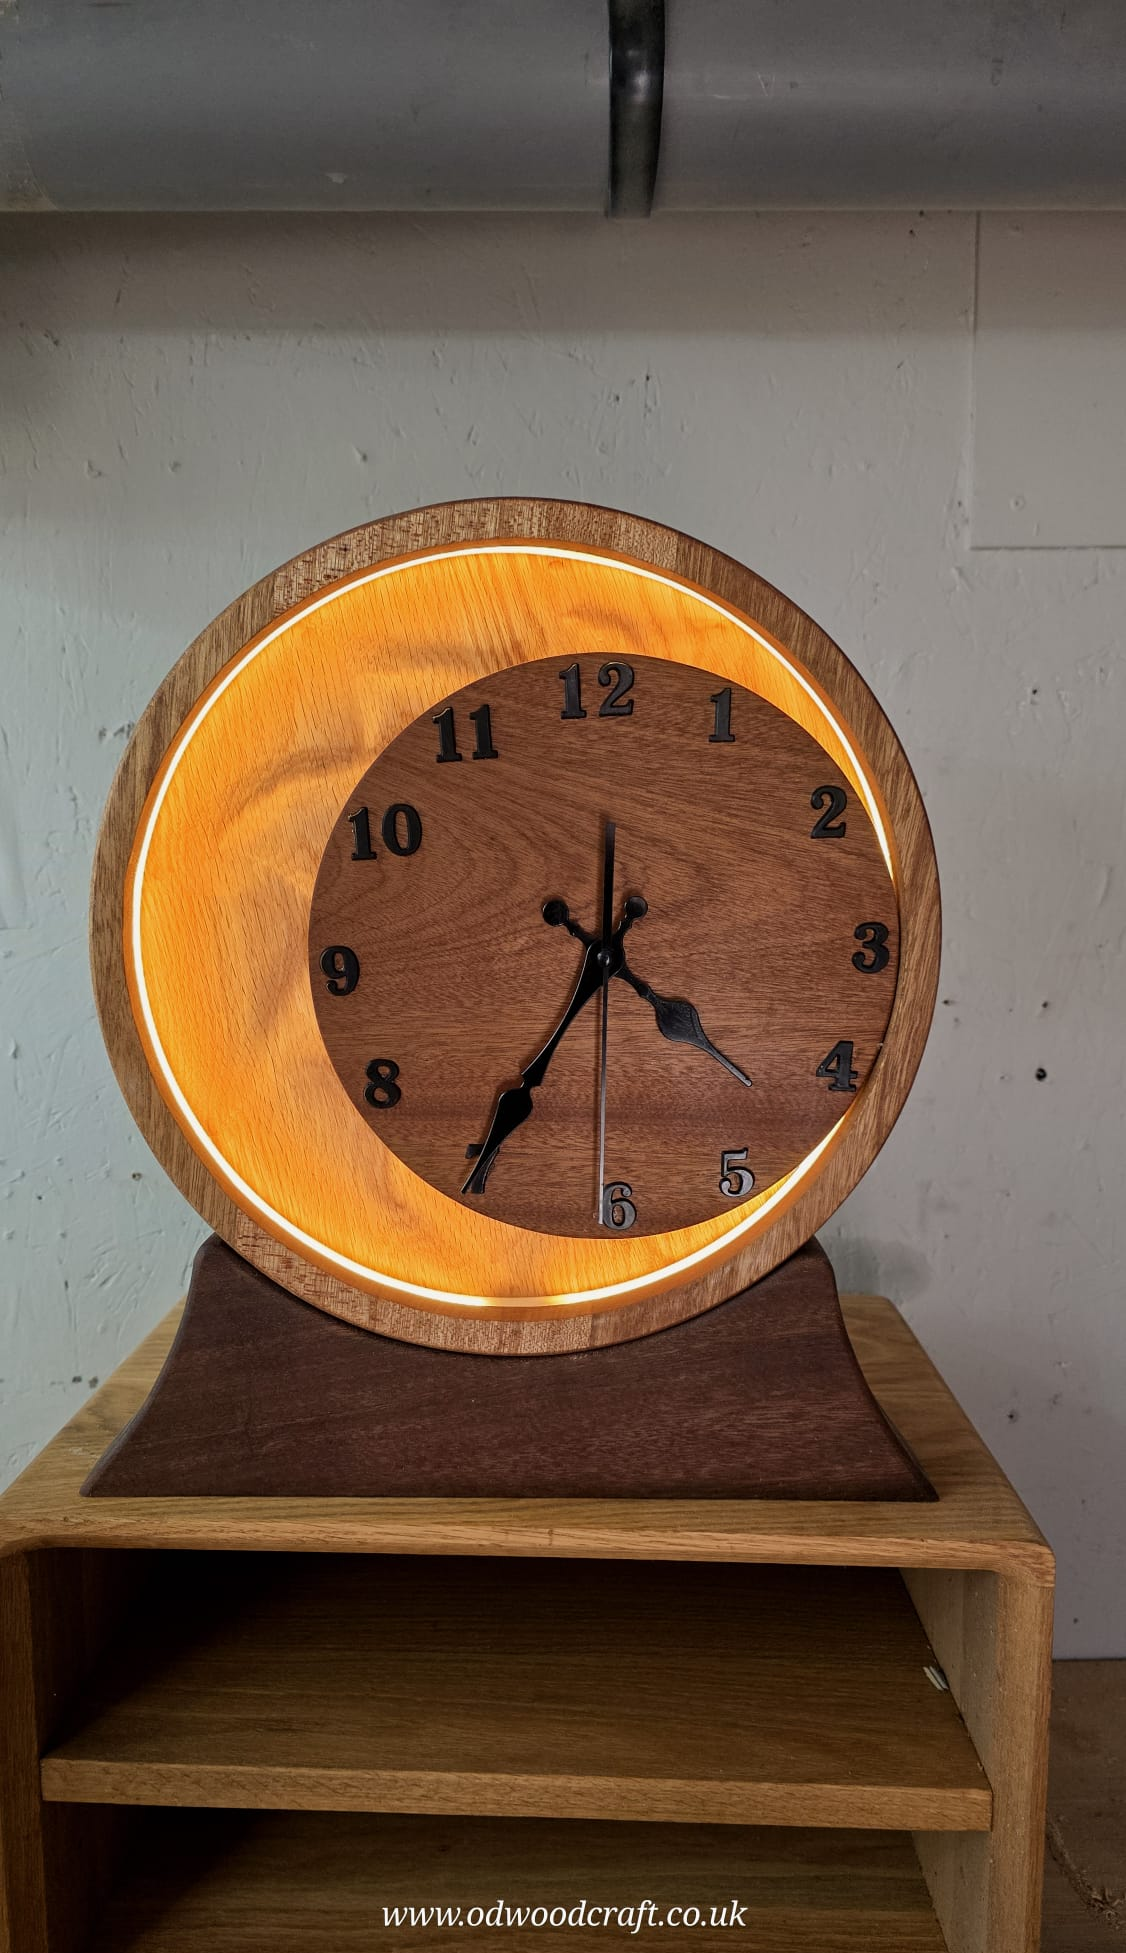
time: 4:35
